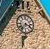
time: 7:18
